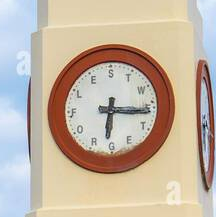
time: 6:15
